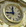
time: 11:44
